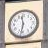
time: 11:32
